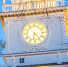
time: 6:24
